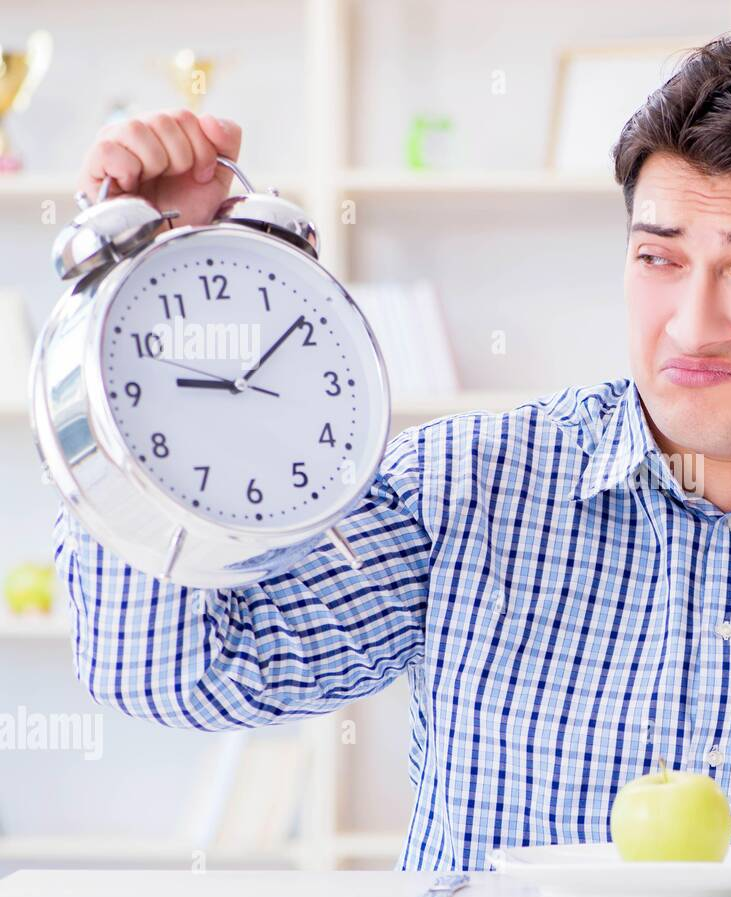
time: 9:09
